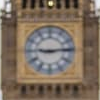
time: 9:13
